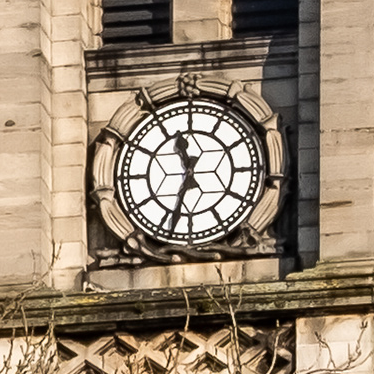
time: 11:33
